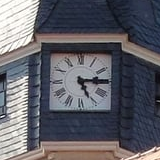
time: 5:14
